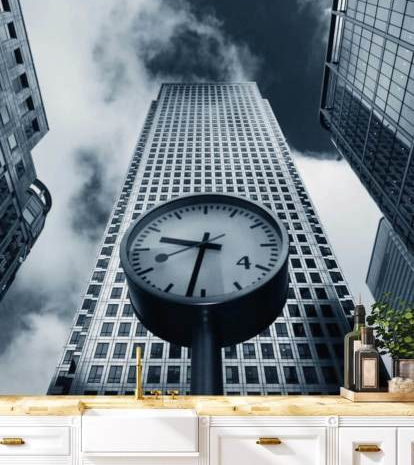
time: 9:32
